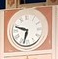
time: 9:32
